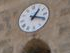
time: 1:18
